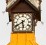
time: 5:40
